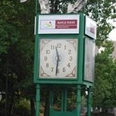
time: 11:31
